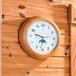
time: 9:31
